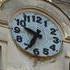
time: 9:34
